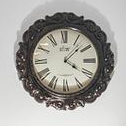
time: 4:07
